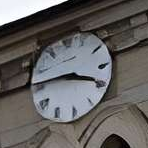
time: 3:45
